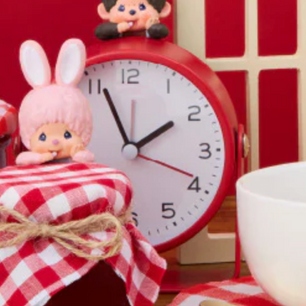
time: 1:56
